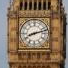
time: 8:12
